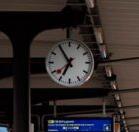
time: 6:54
